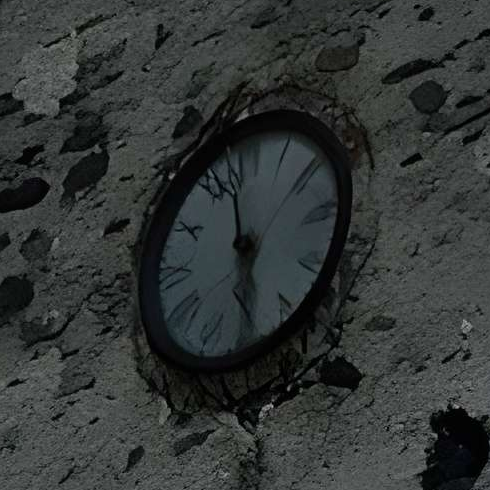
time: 5:58
